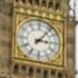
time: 3:06
